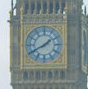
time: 1:40
